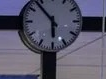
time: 5:53
